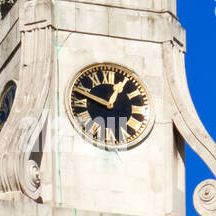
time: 12:48
